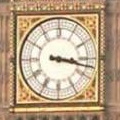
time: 3:17
